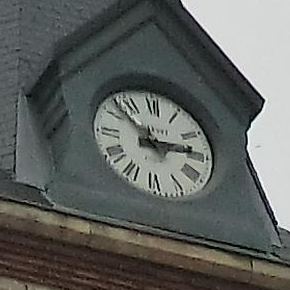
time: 2:52
